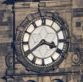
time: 3:39
